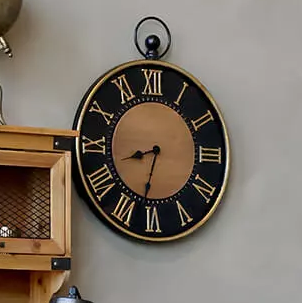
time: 8:32
